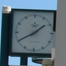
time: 1:40
